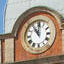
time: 11:00
